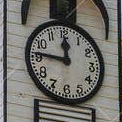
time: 11:46
